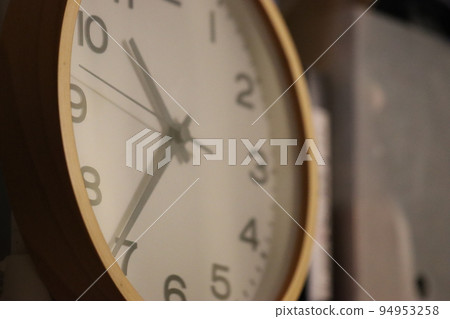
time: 10:36
